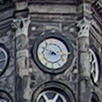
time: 8:49
